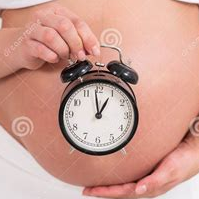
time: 12:58
